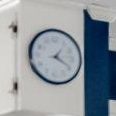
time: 1:19
